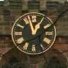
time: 12:57
